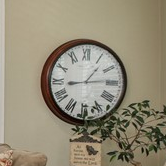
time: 1:13
